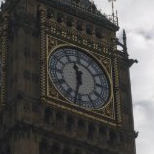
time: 11:32
